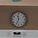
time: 11:34
